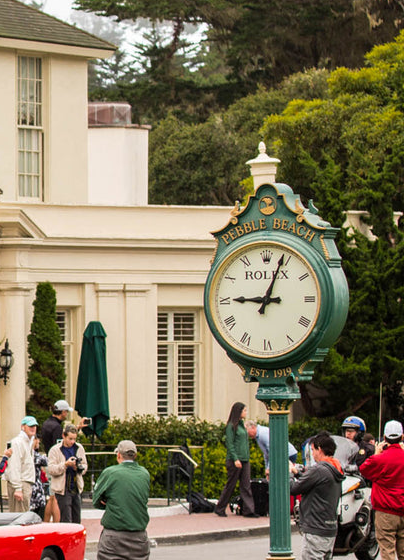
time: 9:03
